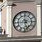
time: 8:27
